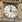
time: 12:16
